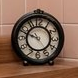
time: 9:48
